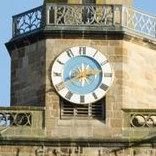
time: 2:40
